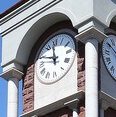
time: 11:48
